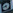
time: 4:42
